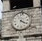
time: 4:20
